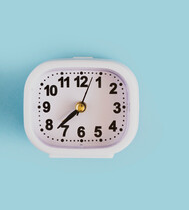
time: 7:37
